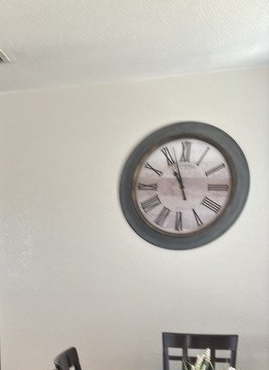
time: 10:56
